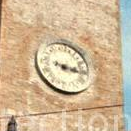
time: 3:16
